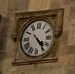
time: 4:23
